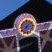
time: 7:07
